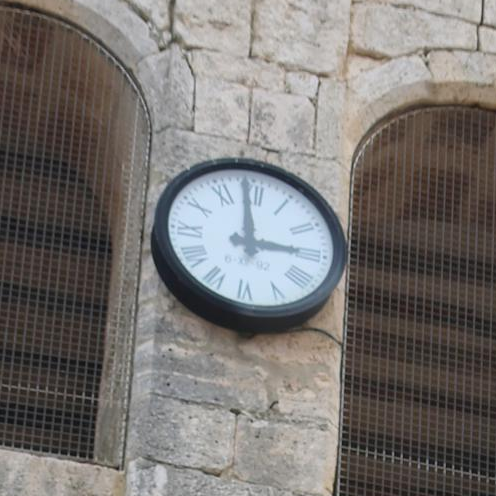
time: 2:59
